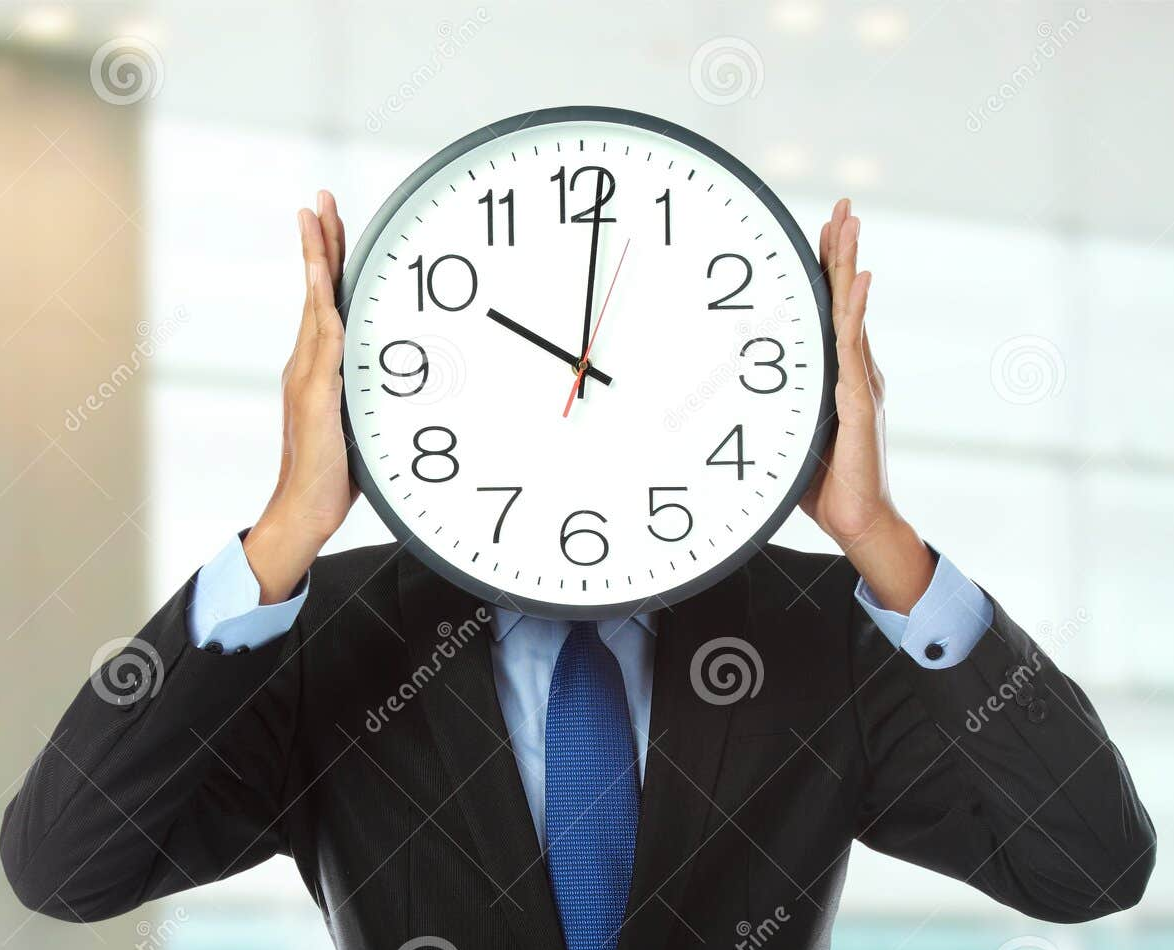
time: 10:00
